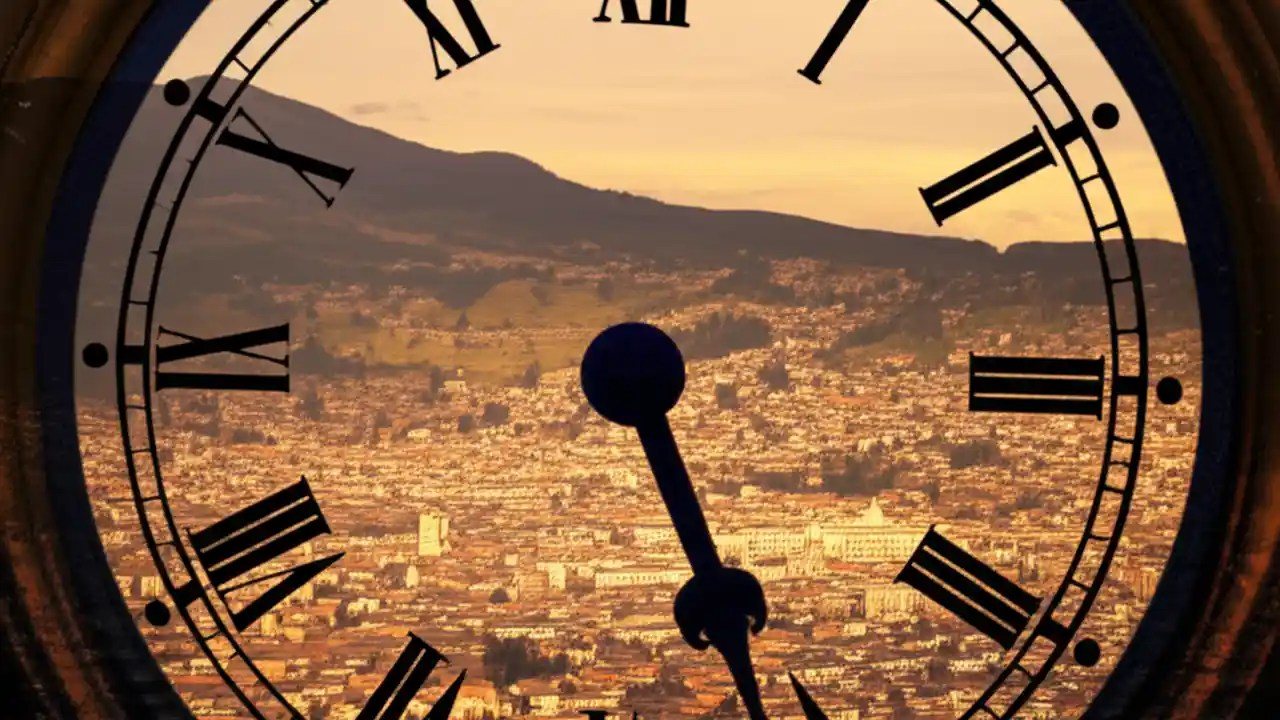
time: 5:26
